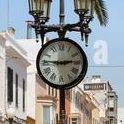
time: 2:46
